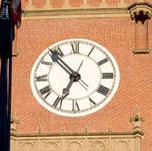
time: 6:53
